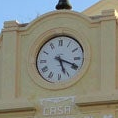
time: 5:18
